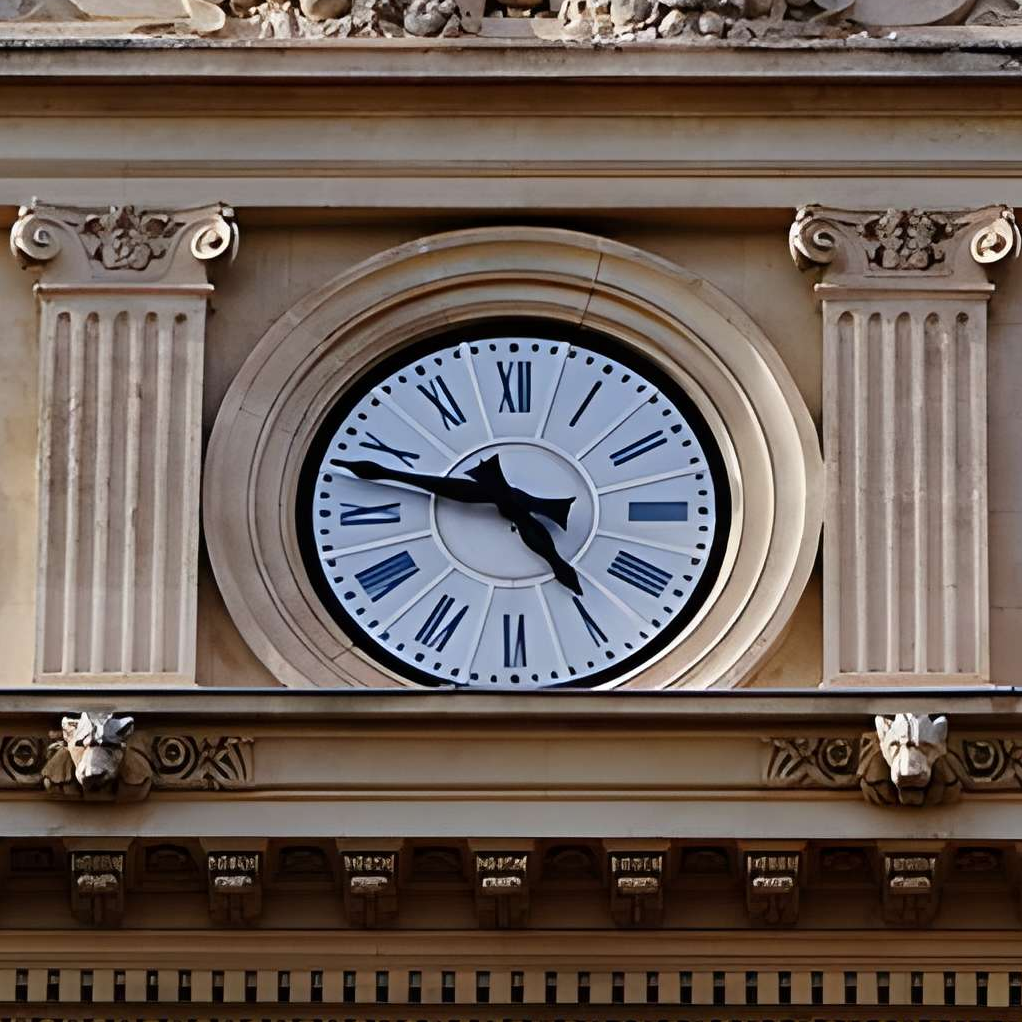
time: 4:47
